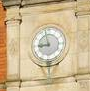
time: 8:57
